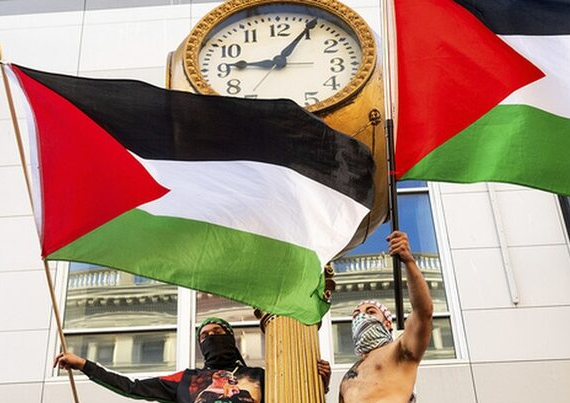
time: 9:05
